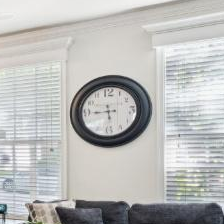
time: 5:44
